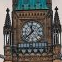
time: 11:37
